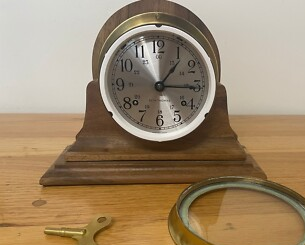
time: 1:15
